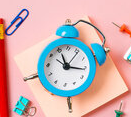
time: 11:15
